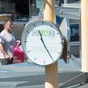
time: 11:24
